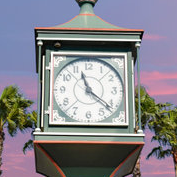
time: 11:21
